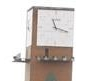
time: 11:18
